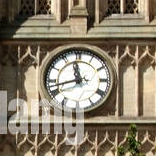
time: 11:42
